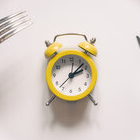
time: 2:07
